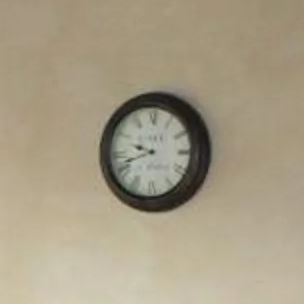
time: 9:41
